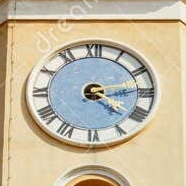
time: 4:13
